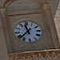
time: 11:37
